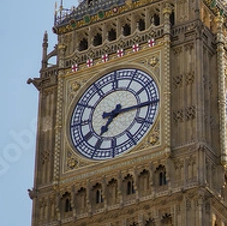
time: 7:15
